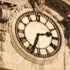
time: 2:33
